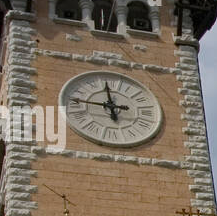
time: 11:46
